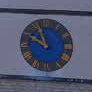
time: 9:56
